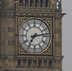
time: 7:13
